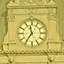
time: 11:35
